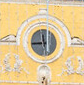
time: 11:44
